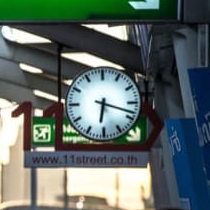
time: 6:18
